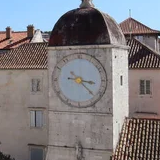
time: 3:22
